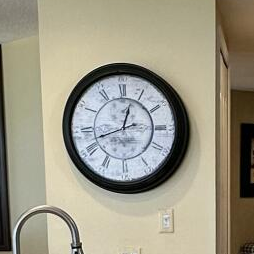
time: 12:42
